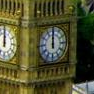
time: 12:00
